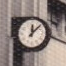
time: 12:07
